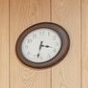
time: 3:32
